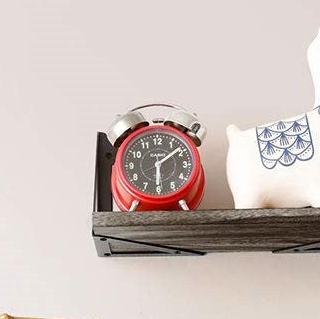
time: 6:08
